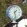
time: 1:28
